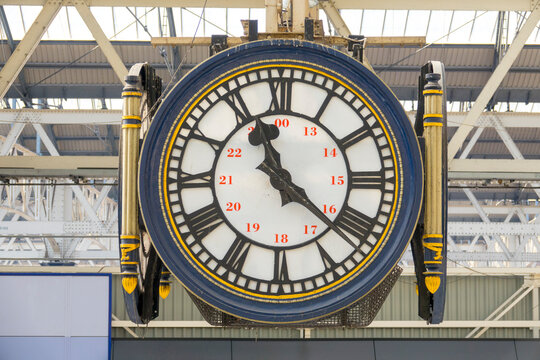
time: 11:21
